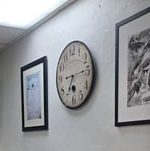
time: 7:14
